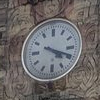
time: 4:18
